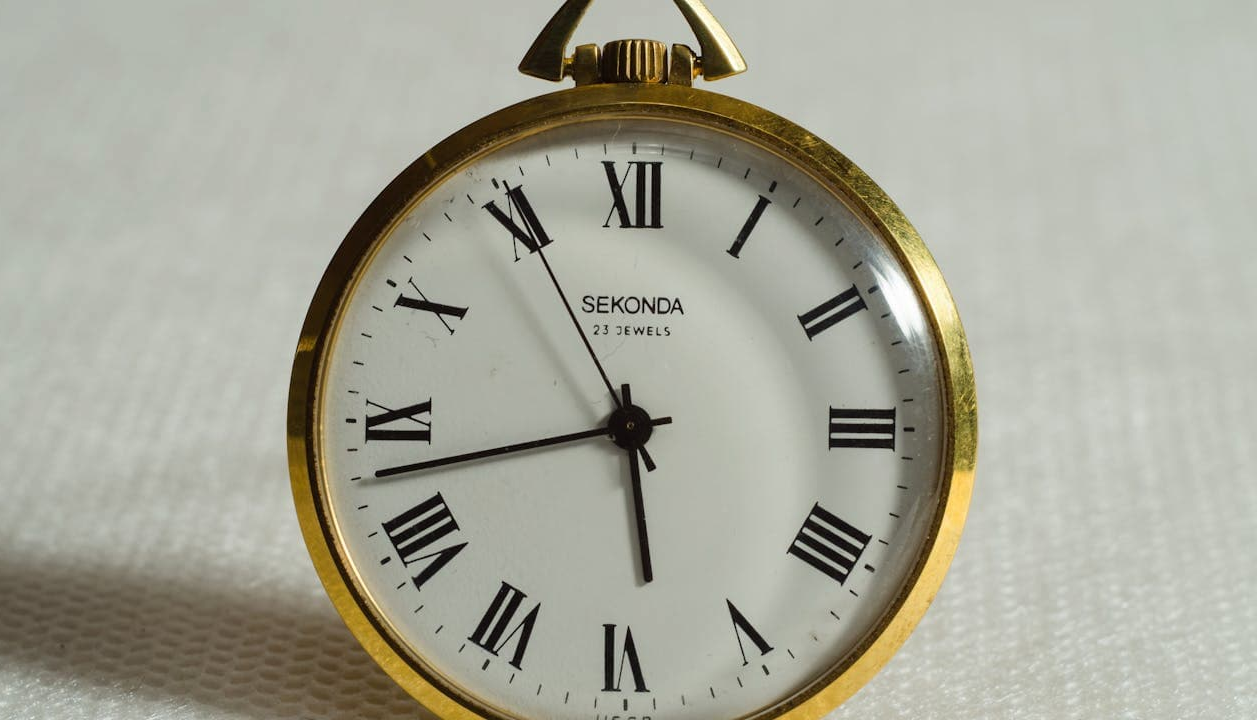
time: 5:42
